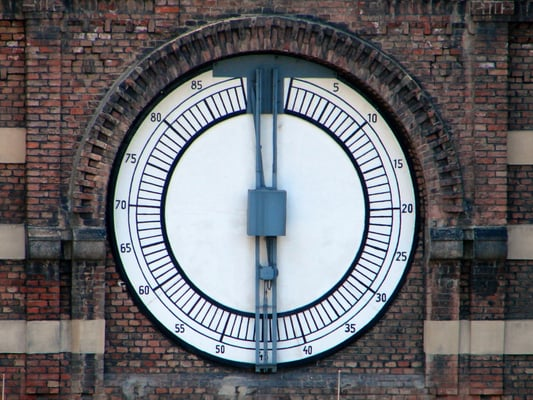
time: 5:58
